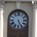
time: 5:26
